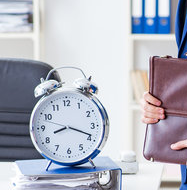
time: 8:18
